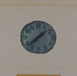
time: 1:37
